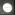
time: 9:14
